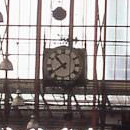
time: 10:39
